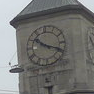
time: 10:18
